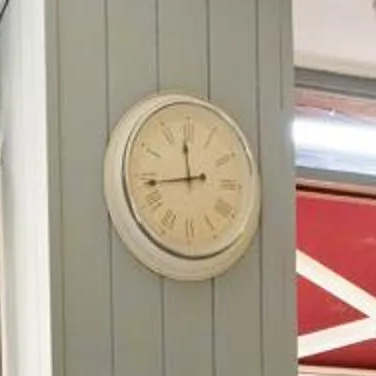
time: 11:43
